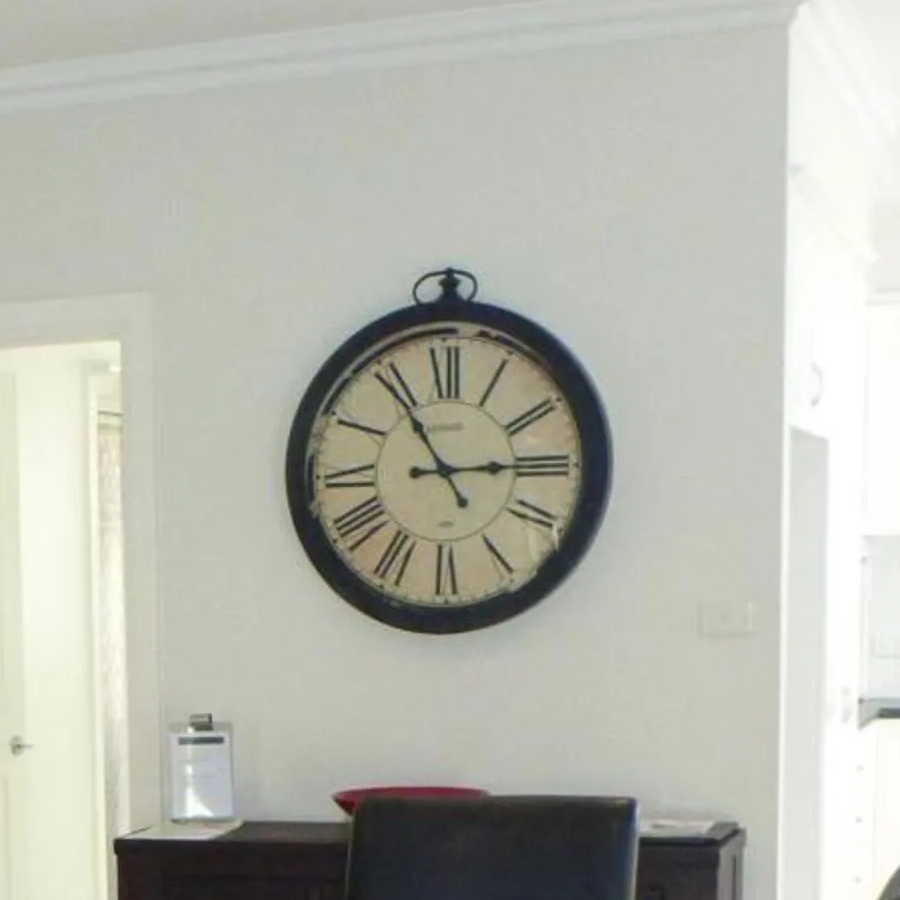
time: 2:54
